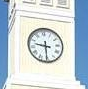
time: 9:30
